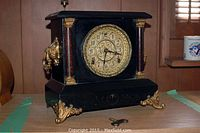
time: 6:17
